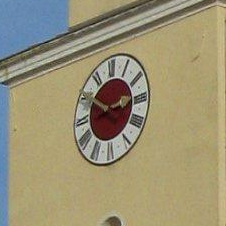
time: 2:50
